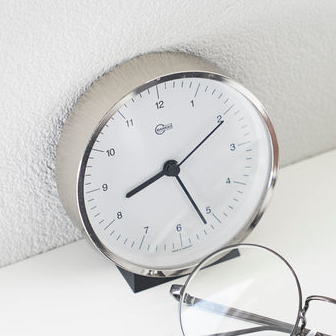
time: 8:26
